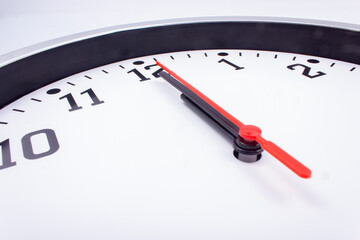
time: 9:50
